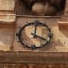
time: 4:01
